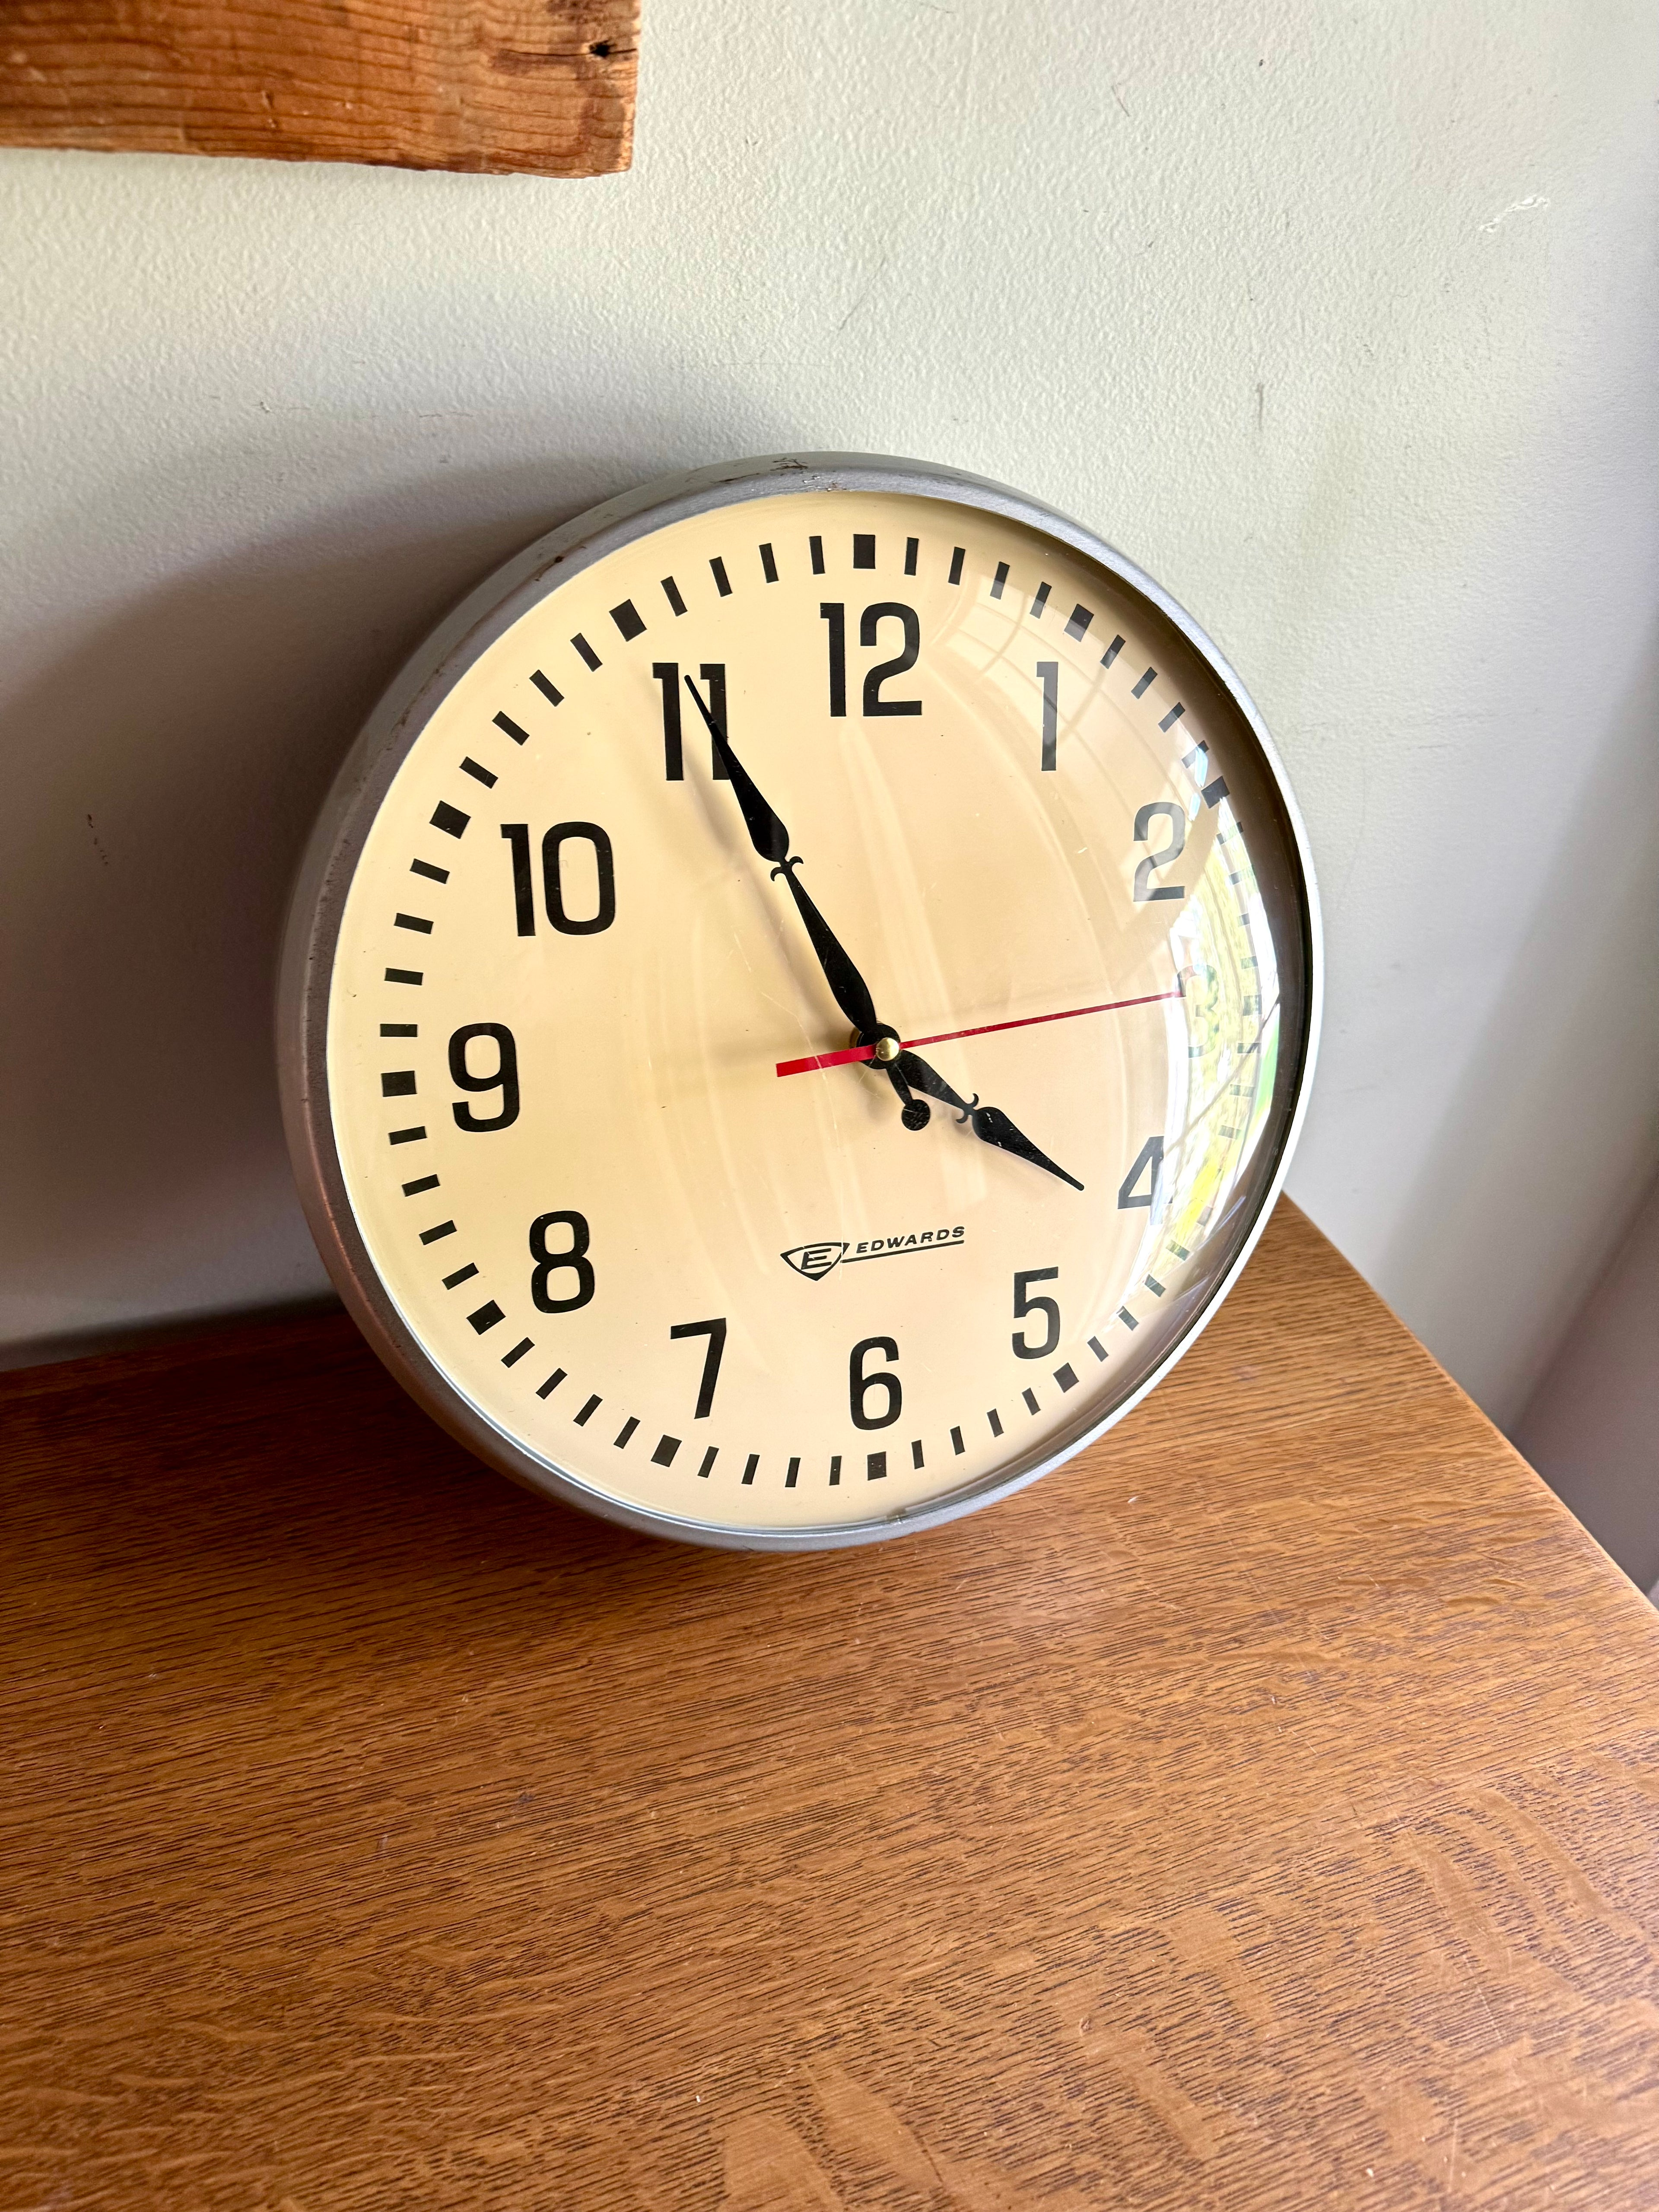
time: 3:55
